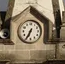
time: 6:34
